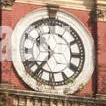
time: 10:36
